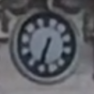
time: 6:34
